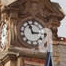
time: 2:56
